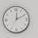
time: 12:10
